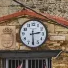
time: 2:29
